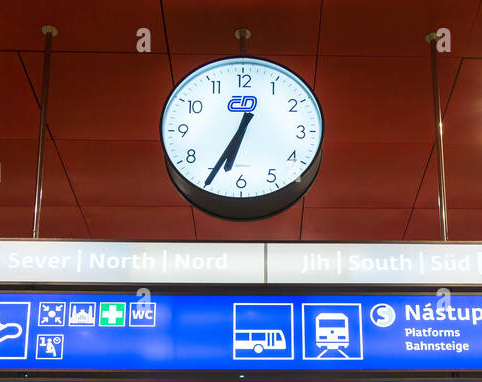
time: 6:34
